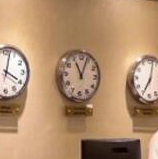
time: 11:03
